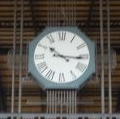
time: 10:15
